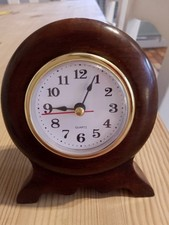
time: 9:04
